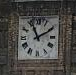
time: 11:10
